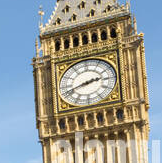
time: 2:42
